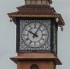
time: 10:04
